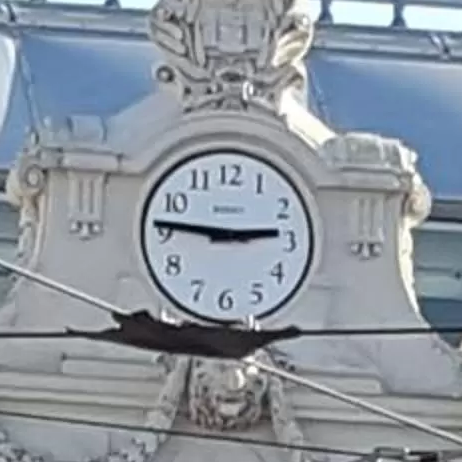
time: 2:46
